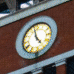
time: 4:57
